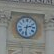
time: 2:31
